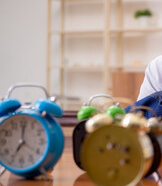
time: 7:00
